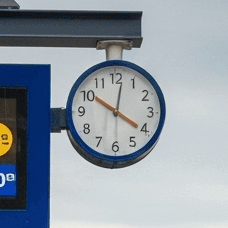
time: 4:01
